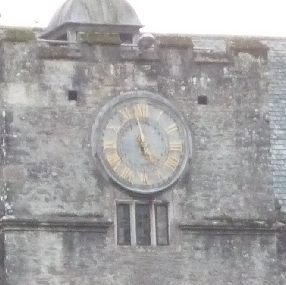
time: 4:58
